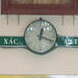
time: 12:18
